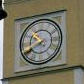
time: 10:40
